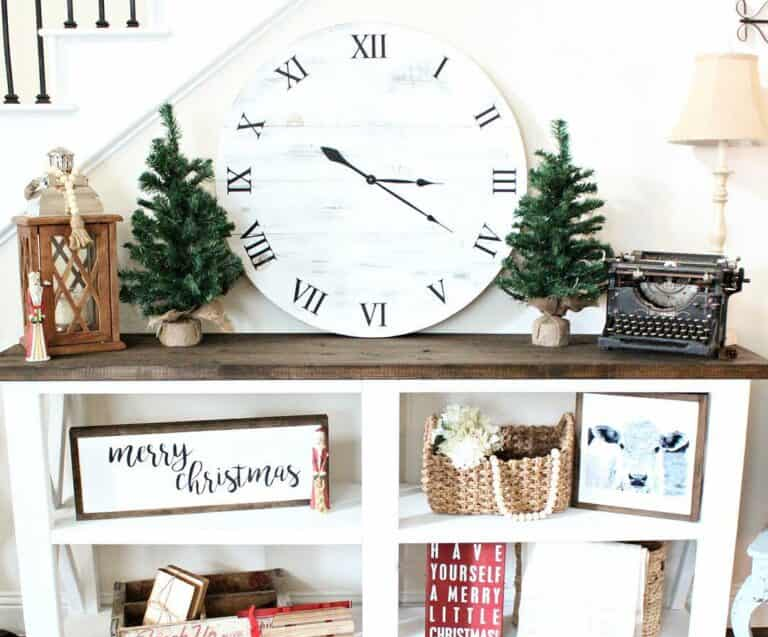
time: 3:20
